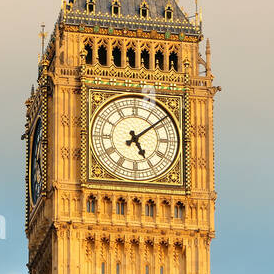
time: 5:08
